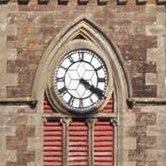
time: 4:19
